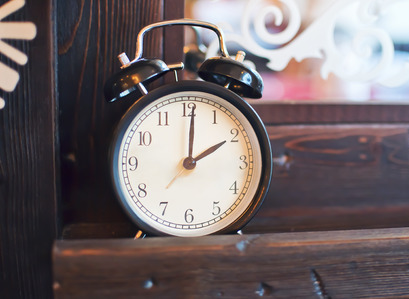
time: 2:01
